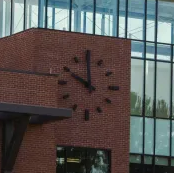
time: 9:59
